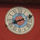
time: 8:11
